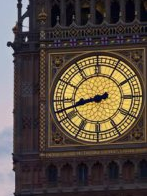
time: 8:42
